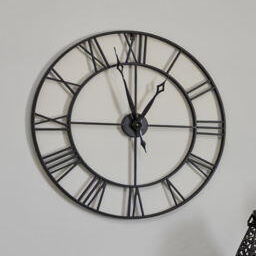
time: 12:57
